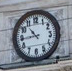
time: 10:43
